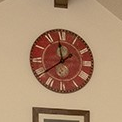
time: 11:39
